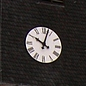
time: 10:02
